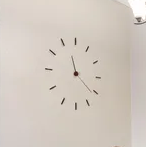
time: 11:21
